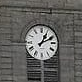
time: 1:10
